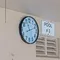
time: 8:11
